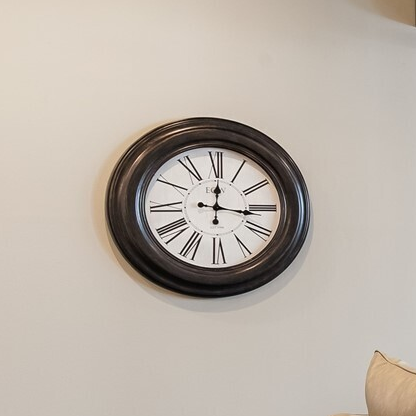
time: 12:15
